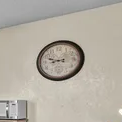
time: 8:48
